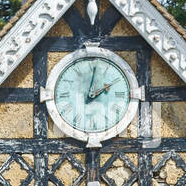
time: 2:01
